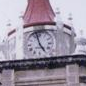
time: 4:57
